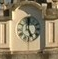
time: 4:59
